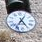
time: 4:35
